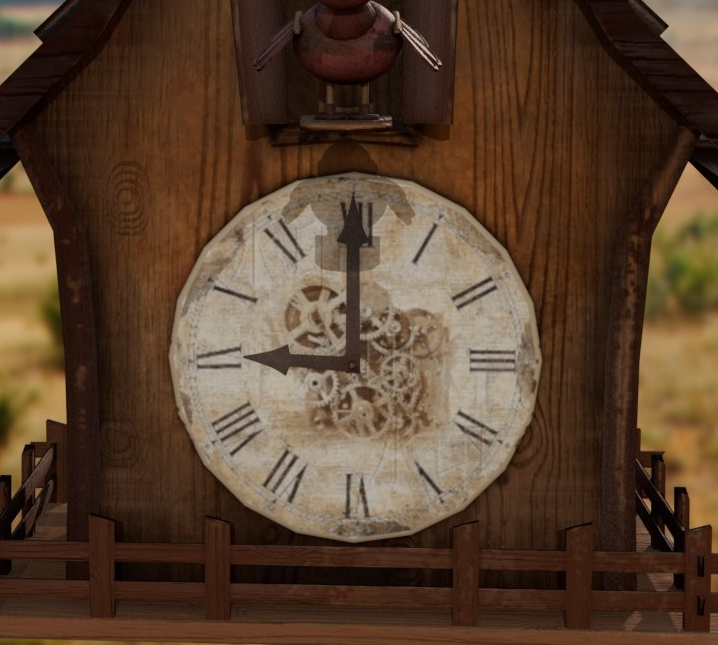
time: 8:59
